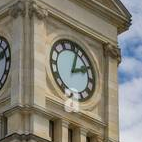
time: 2:02
